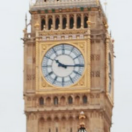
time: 10:15
